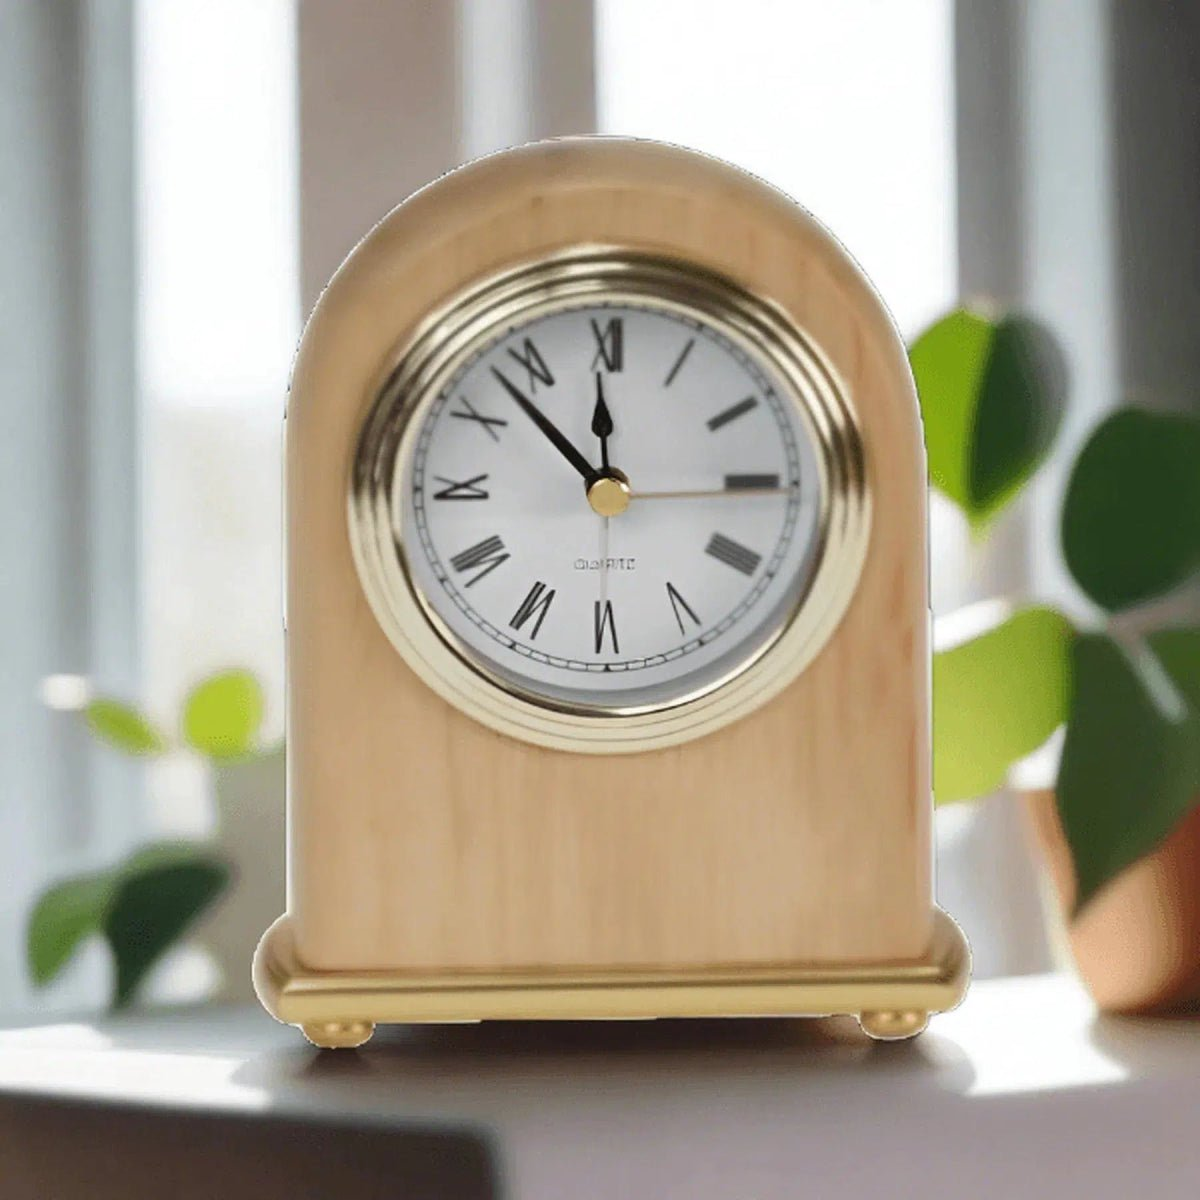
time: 11:52
